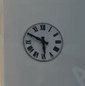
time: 5:49
